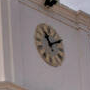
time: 11:09
